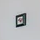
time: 5:12
